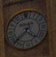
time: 4:37
